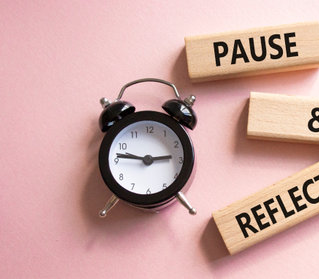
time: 2:46
